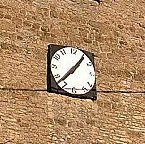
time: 1:37
